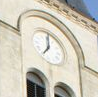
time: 7:01
